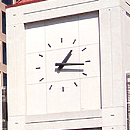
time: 1:16
